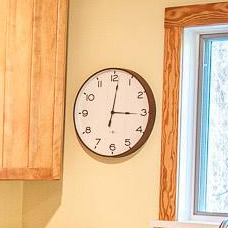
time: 3:01
